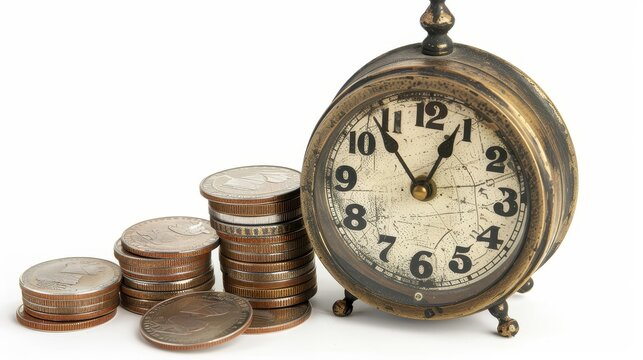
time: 12:53
